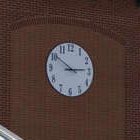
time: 2:50
